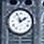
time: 1:56
